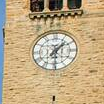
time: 1:29
